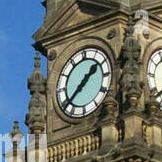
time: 1:38
